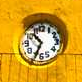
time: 10:34
